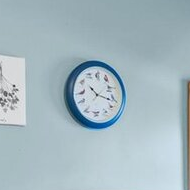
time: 10:16
